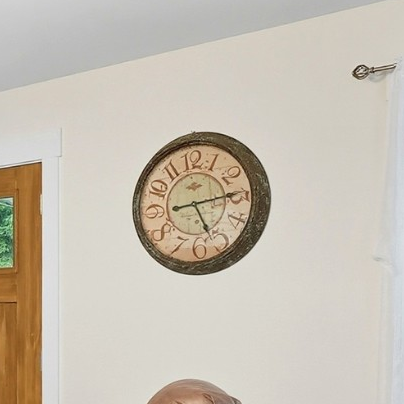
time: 5:14
